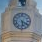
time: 5:19
